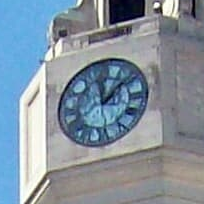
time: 12:07
